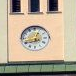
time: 12:42
